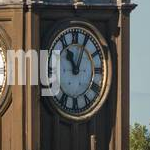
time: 11:04
